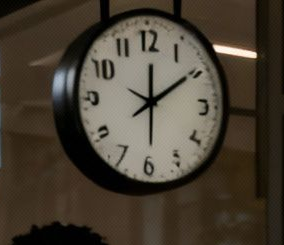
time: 12:09
